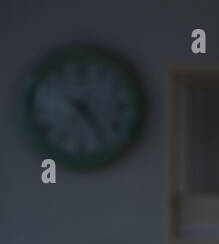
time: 7:24
